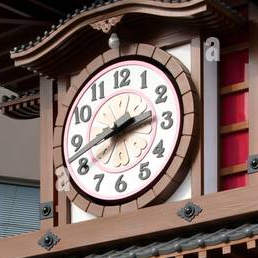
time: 2:42
